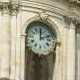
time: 12:11
